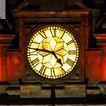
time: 4:46
